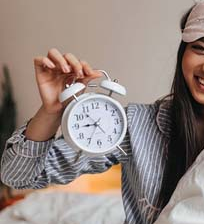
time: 8:53
